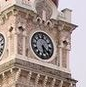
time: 5:20
